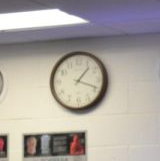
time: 1:18
